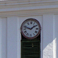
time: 1:47
